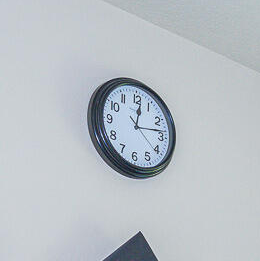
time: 12:13
